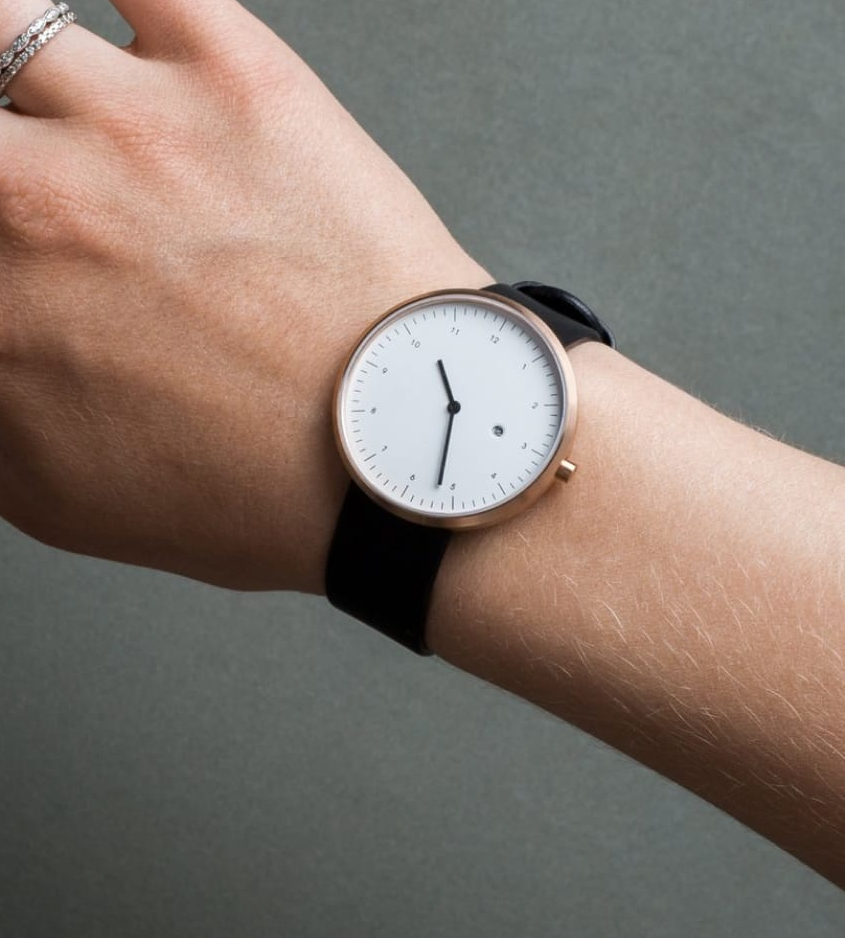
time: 11:31
